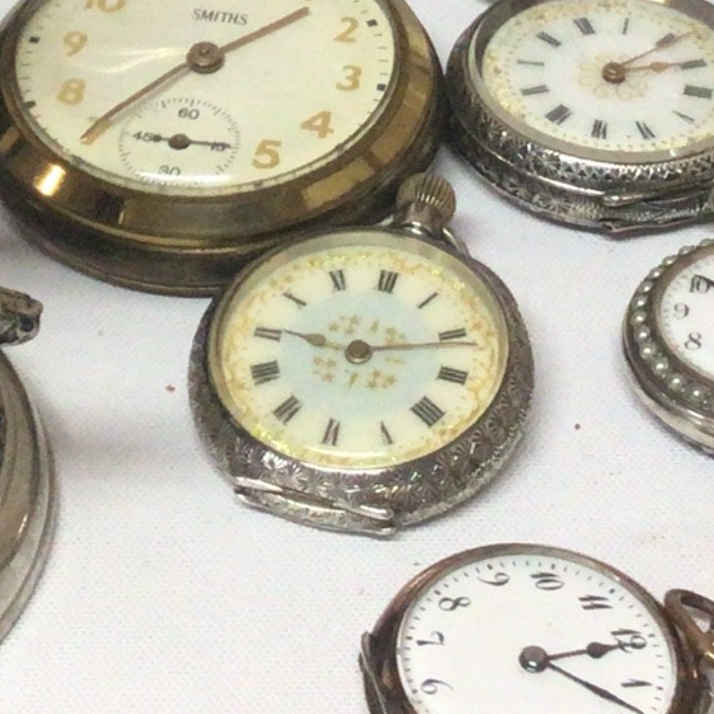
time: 9:11
